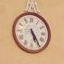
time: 5:24
